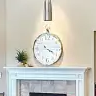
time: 4:14
